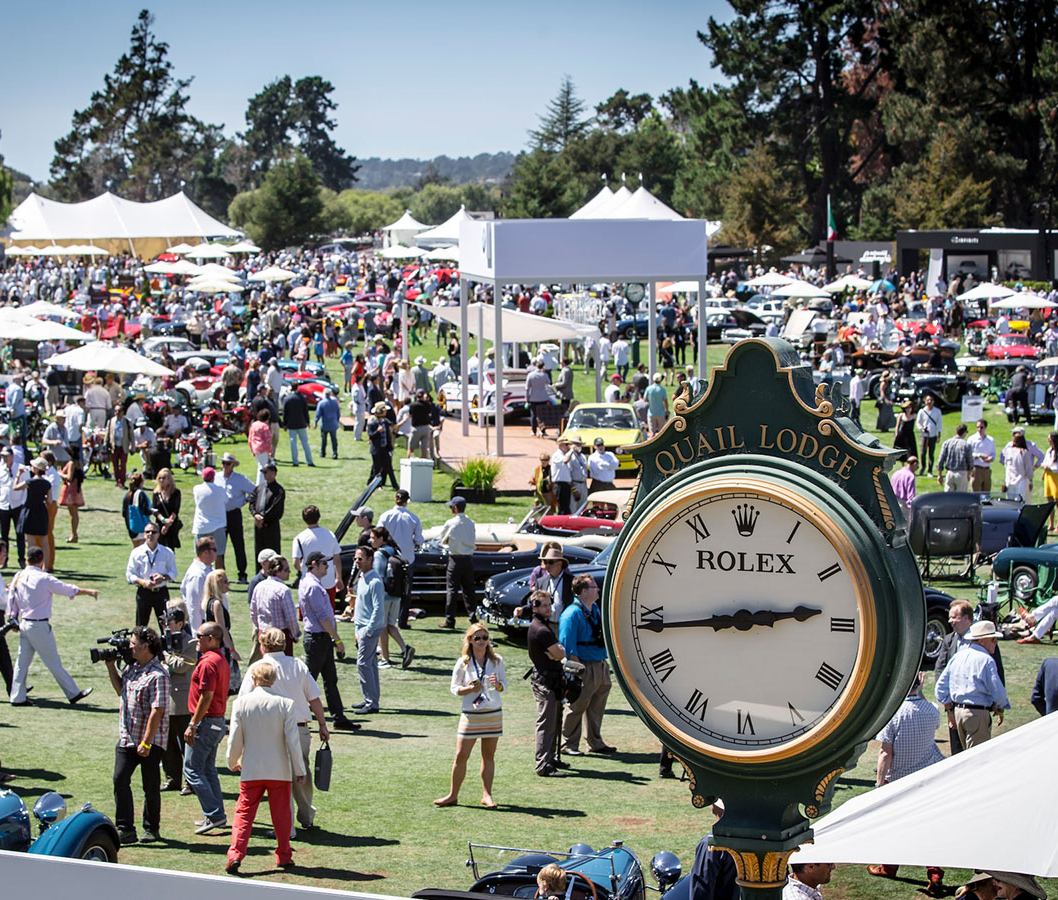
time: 2:43
